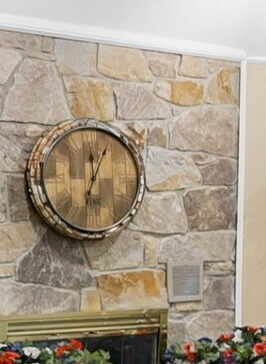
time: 12:04
